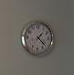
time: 1:21
